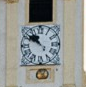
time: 10:51
